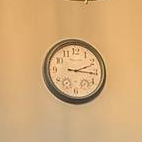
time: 2:15
